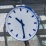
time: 10:29
